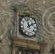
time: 1:57
